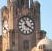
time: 3:57
